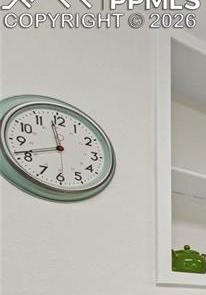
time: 11:41
